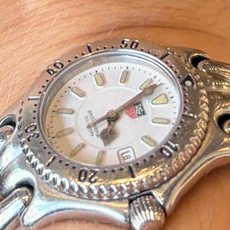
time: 6:07
